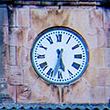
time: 5:32
